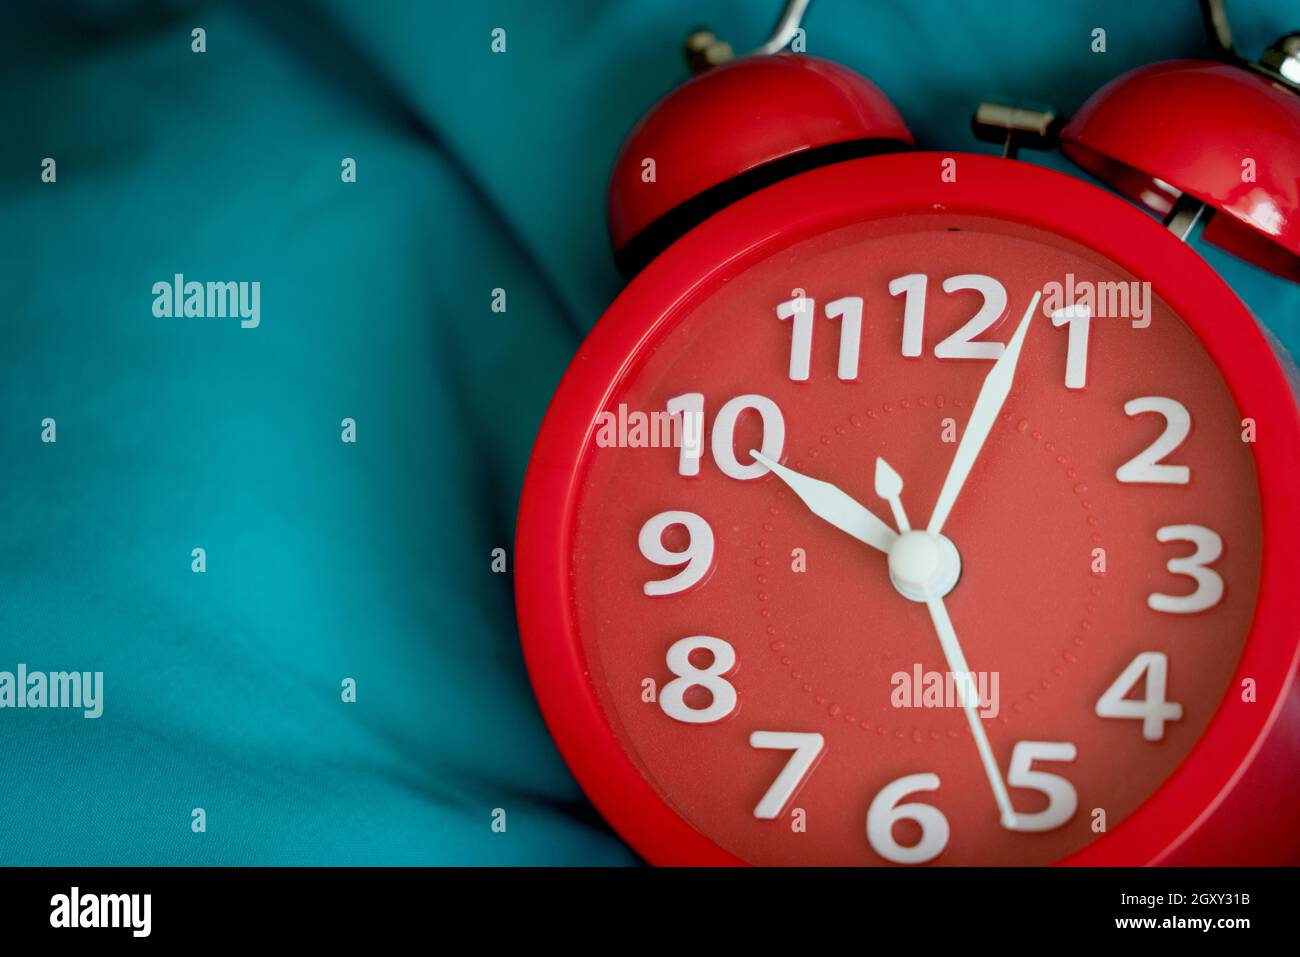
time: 10:03
